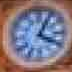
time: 4:04
